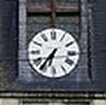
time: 6:36
